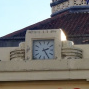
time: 2:25
